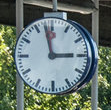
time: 2:58
